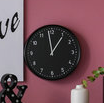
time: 12:58
